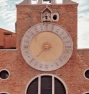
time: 7:37
